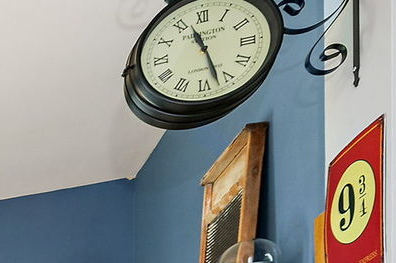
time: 11:27
